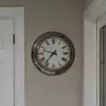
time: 9:36
